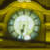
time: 6:32
